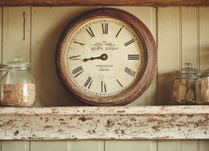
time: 8:43
